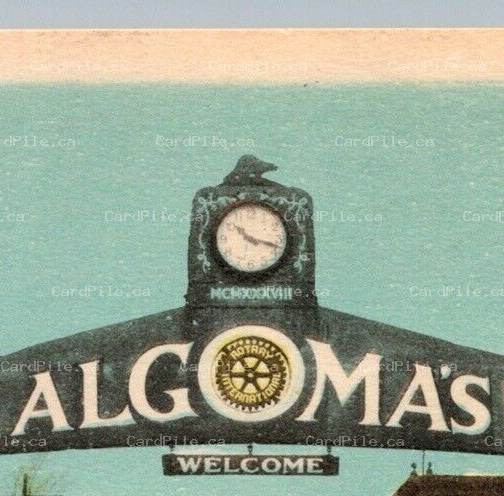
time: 10:17
